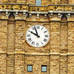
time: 9:56
